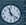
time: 11:21
